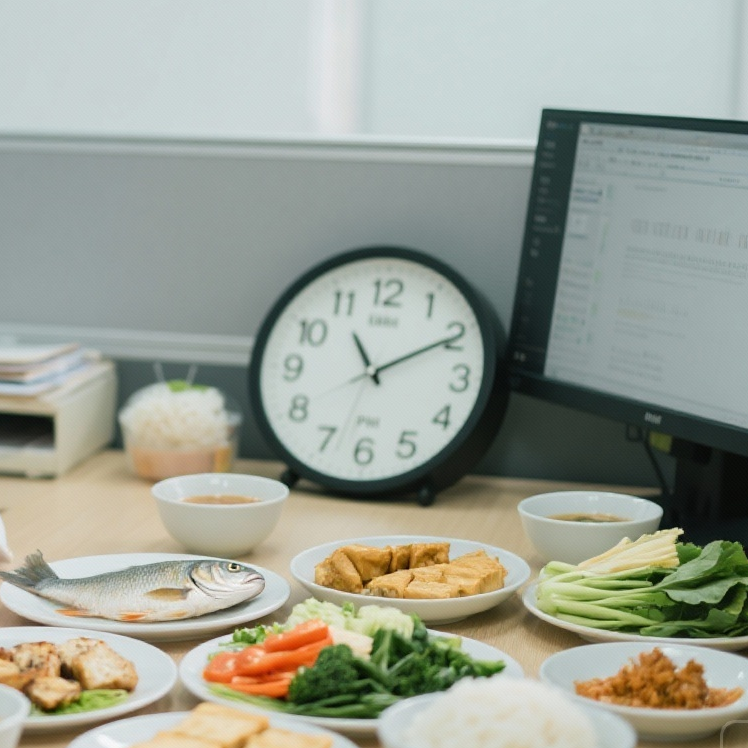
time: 11:10
